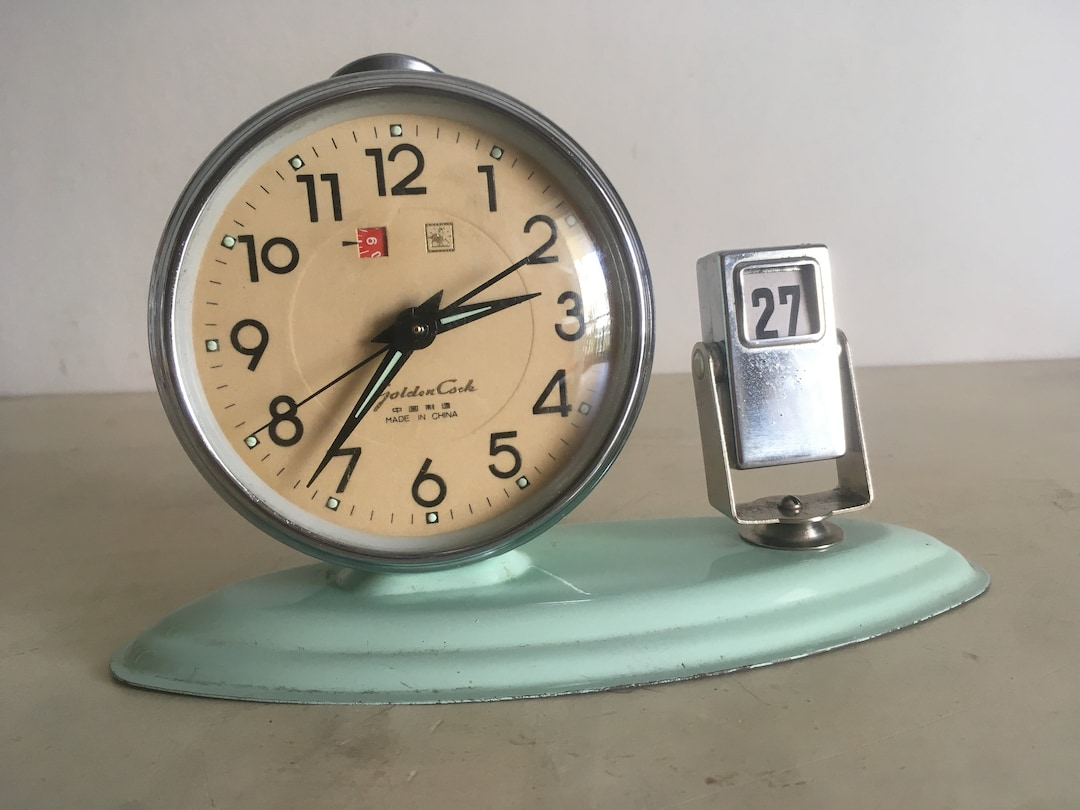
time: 2:36
